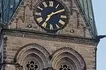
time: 7:09
